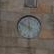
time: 11:49
